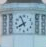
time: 7:55
